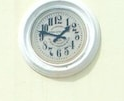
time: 1:47
